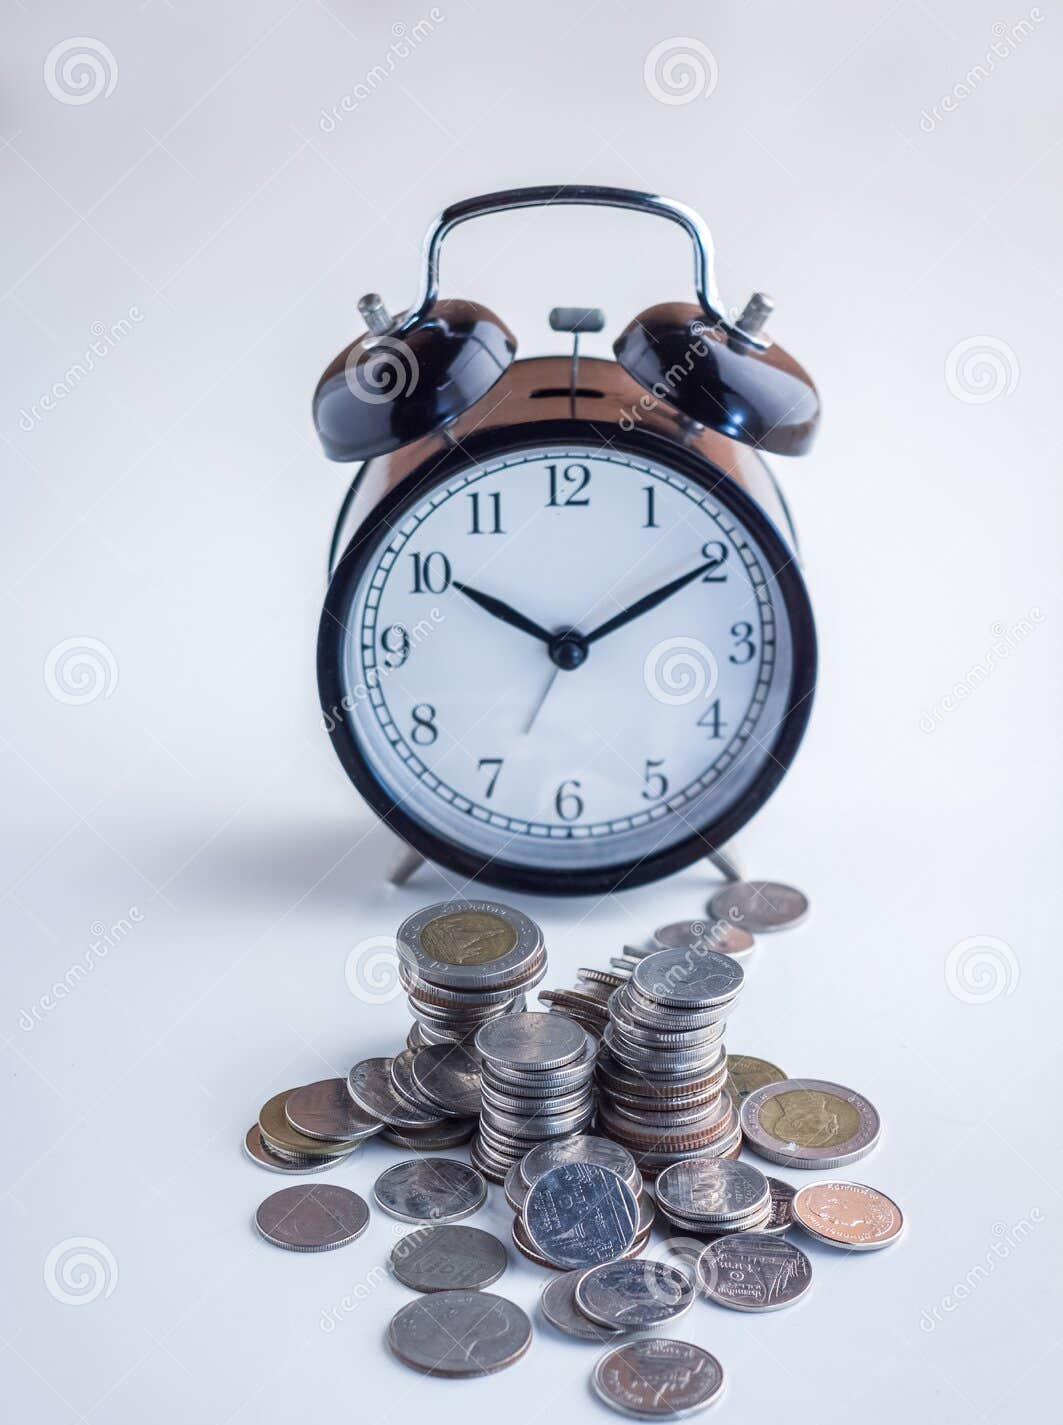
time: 10:09
